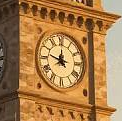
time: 11:47
